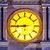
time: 5:44
